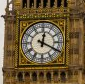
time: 12:19
